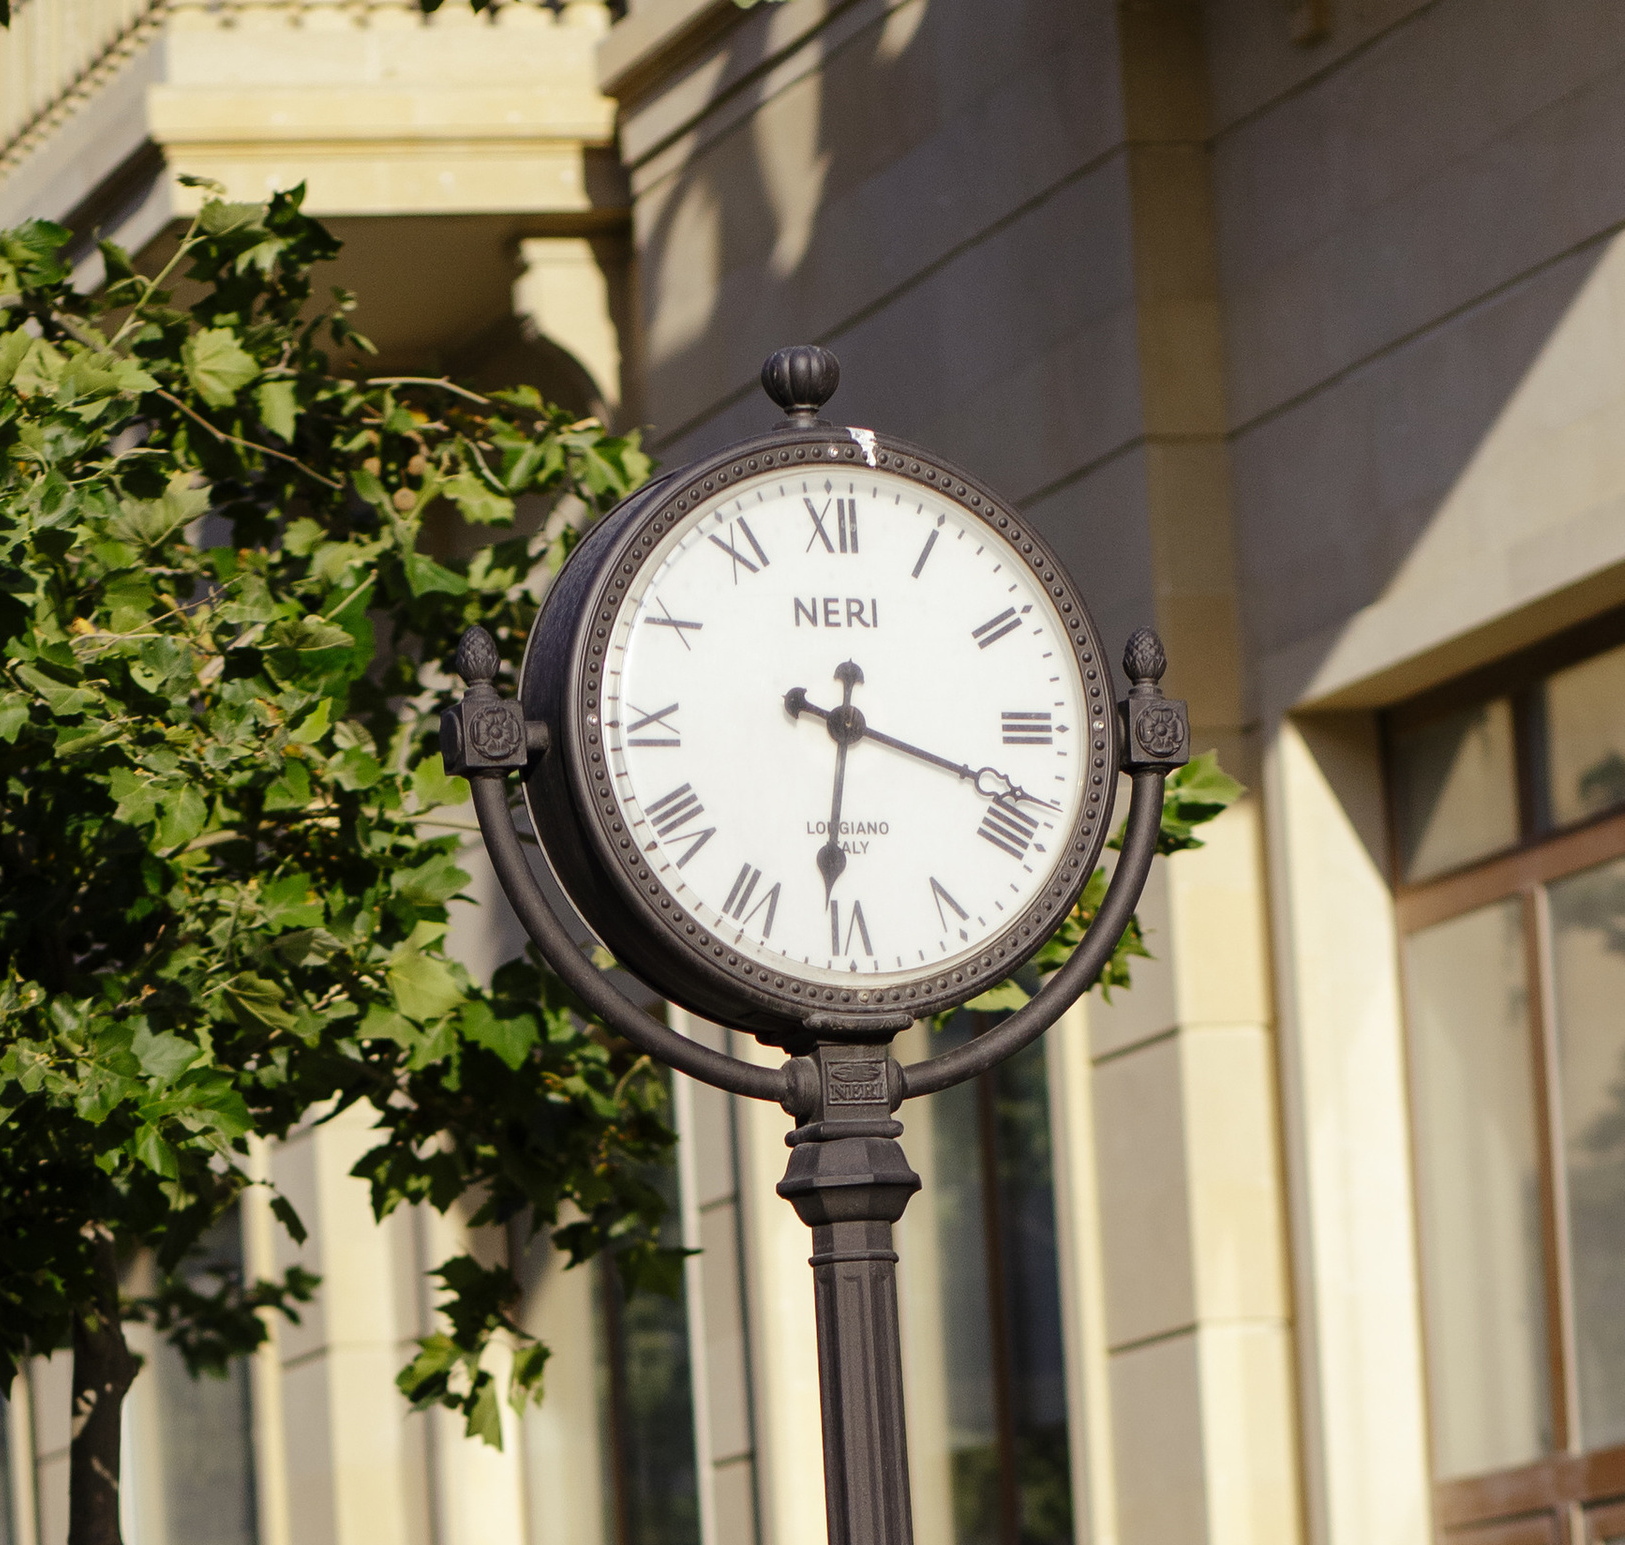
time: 6:18
